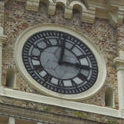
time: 3:01
